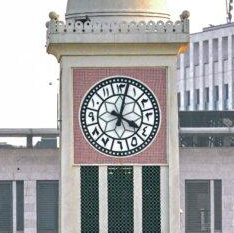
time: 4:02
